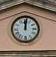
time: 12:01
